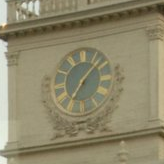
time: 7:07
